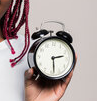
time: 2:28
